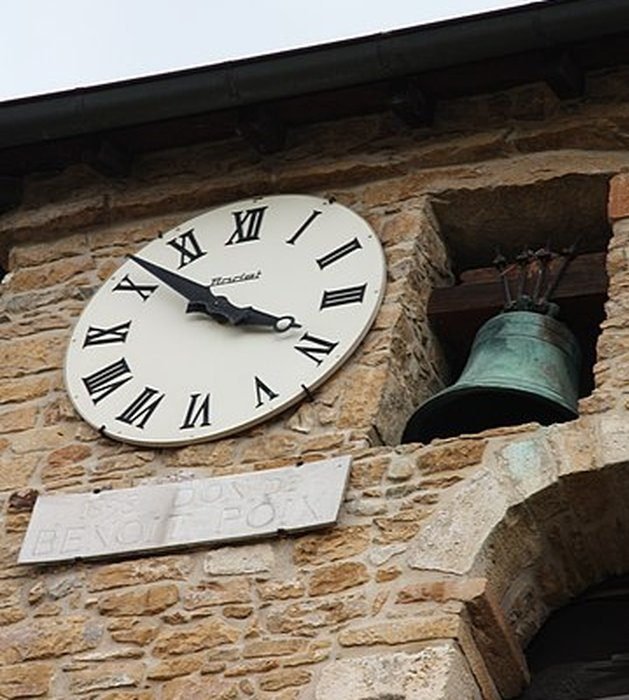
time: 3:52
